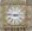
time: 2:46
